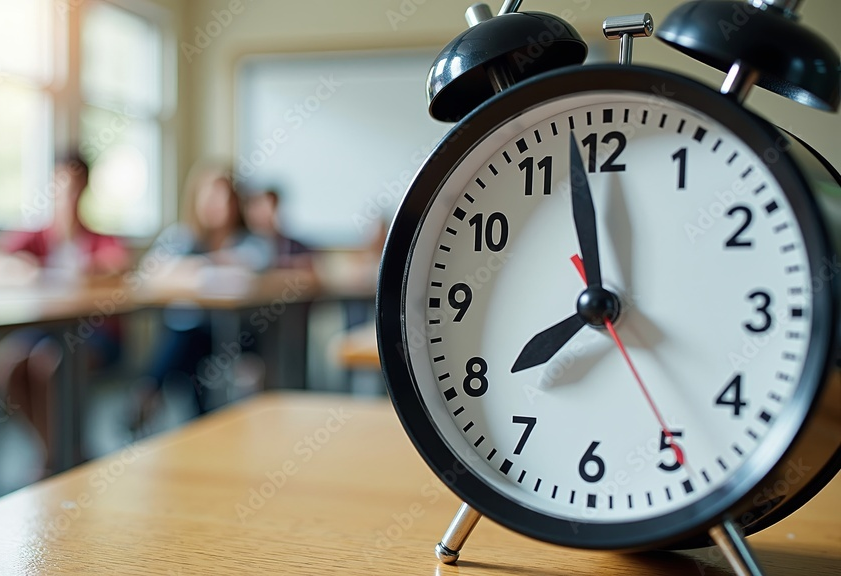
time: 7:58
